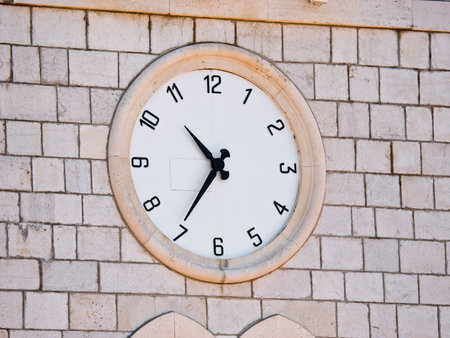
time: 10:35
